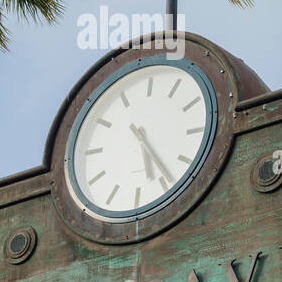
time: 5:23
